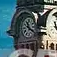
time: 11:21
